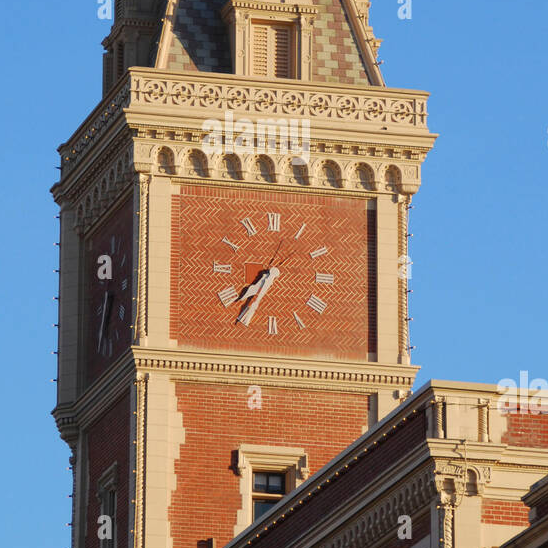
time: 7:34
